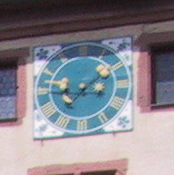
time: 3:09
